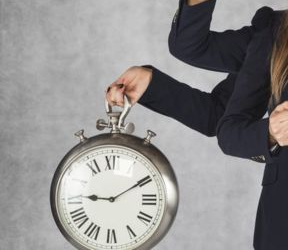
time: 9:09
